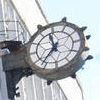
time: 11:36
